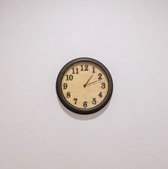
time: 1:11
